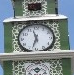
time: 11:32
